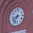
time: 8:36
